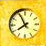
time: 7:55
